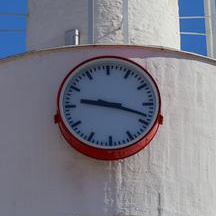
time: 9:18
